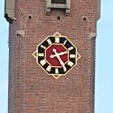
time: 2:24
